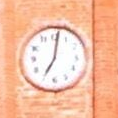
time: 7:01
